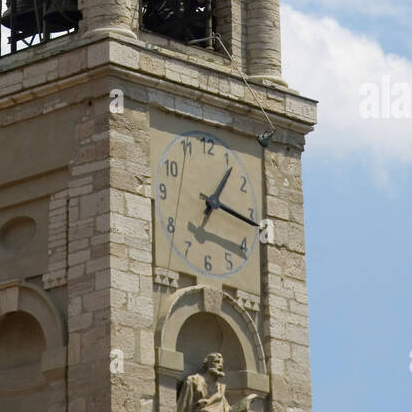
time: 1:16
